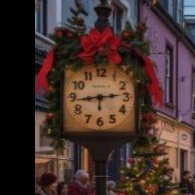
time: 2:44
